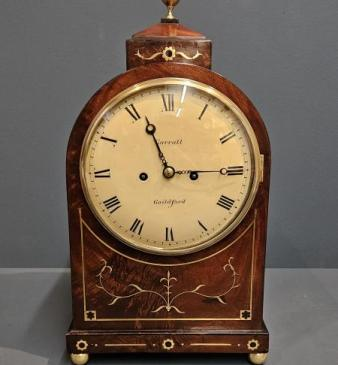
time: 2:56
